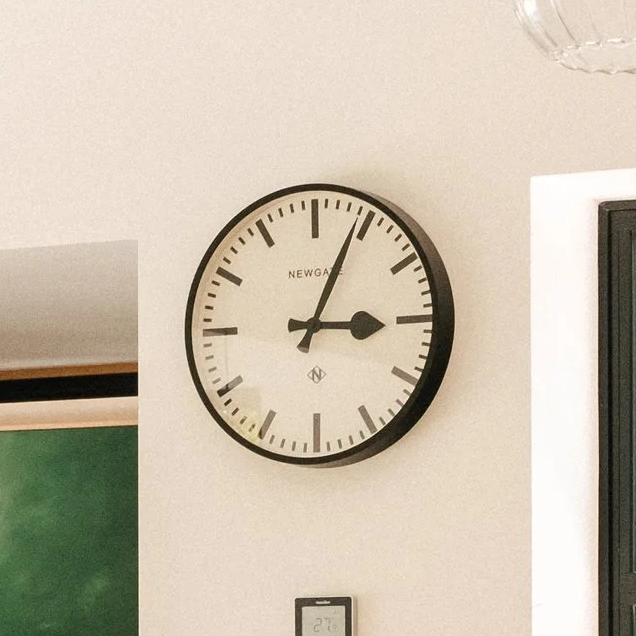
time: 3:04
